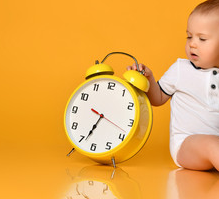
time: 6:33
